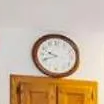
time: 9:41
